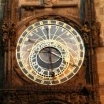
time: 3:29
